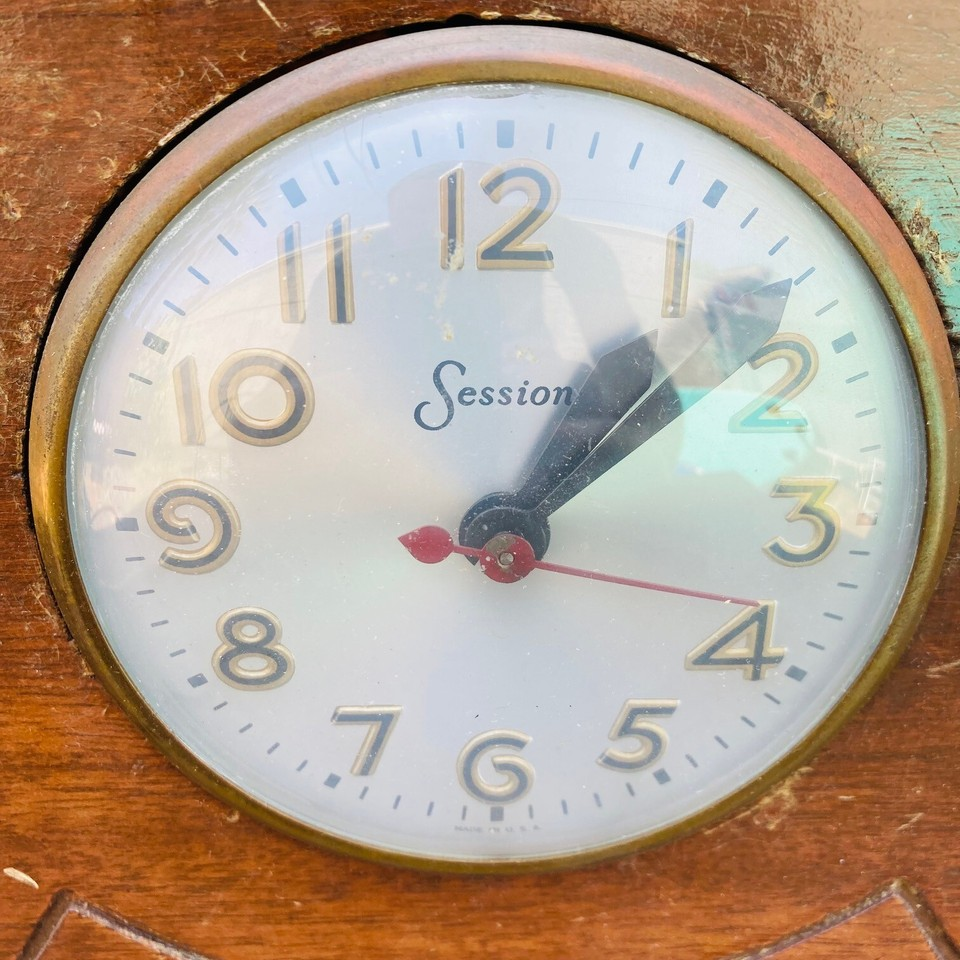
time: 1:08
